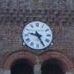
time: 9:25
